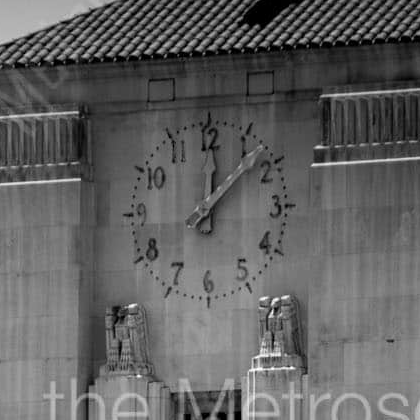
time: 12:07
